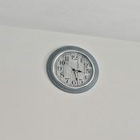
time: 3:27
